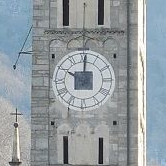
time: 10:00
